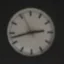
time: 2:42
